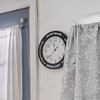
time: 11:37
